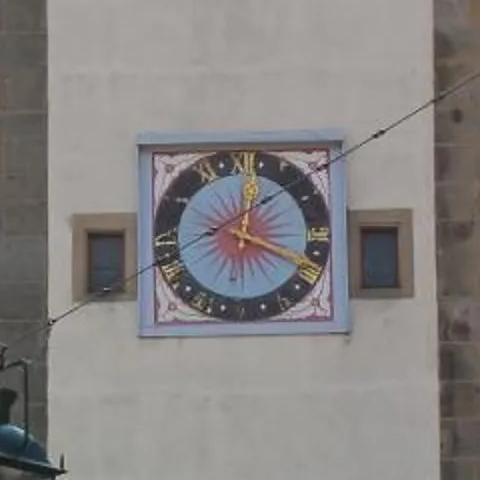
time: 12:18
